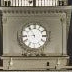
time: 8:54
